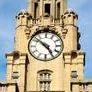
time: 4:51
